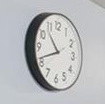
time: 10:41
